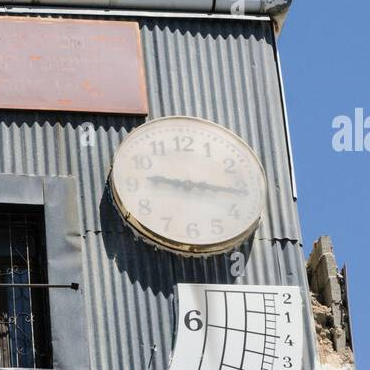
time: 9:16
